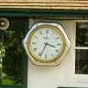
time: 3:34
